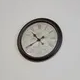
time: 10:40
